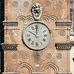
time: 10:00
